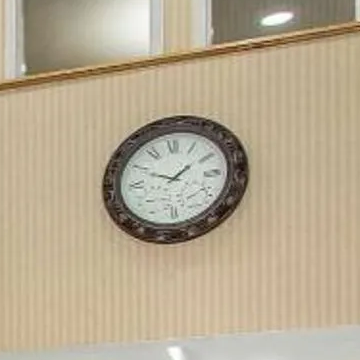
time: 1:49
